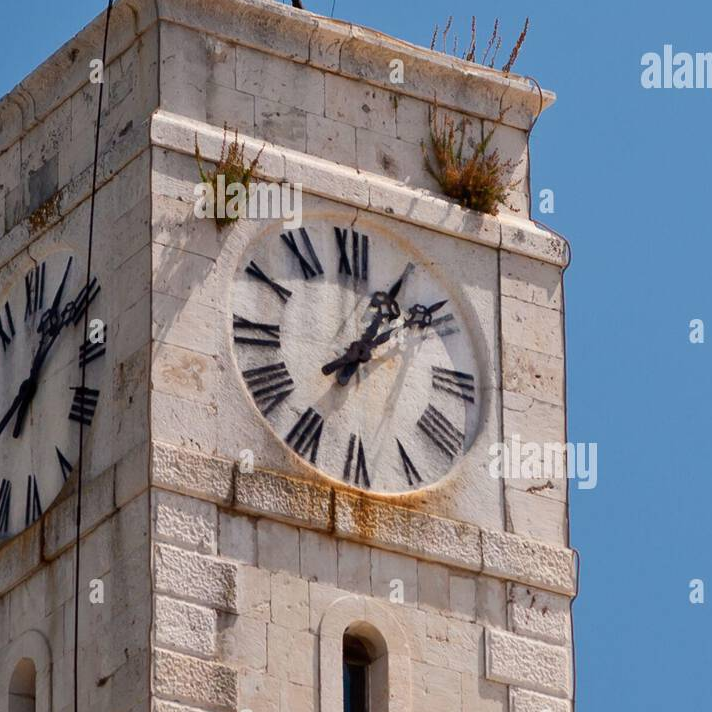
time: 1:08
